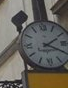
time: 2:19
